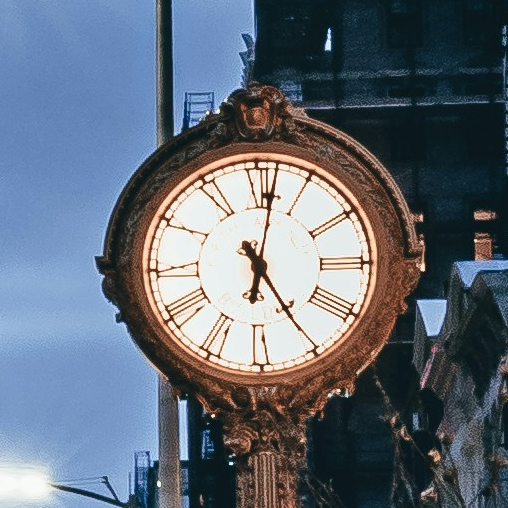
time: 5:01
